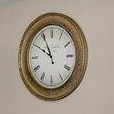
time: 9:55
